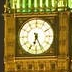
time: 6:25
